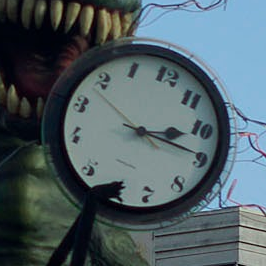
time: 3:19
